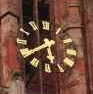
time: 5:40
